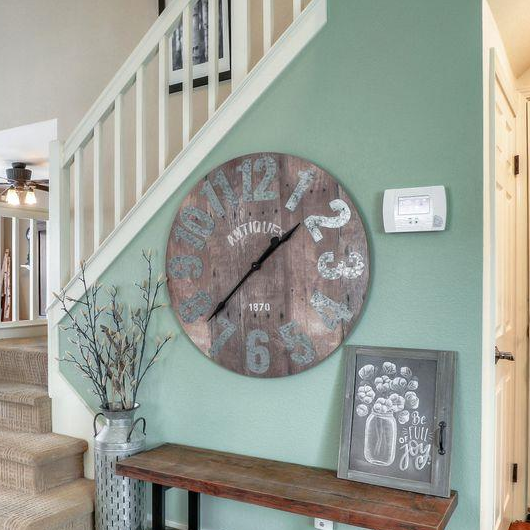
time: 1:37
